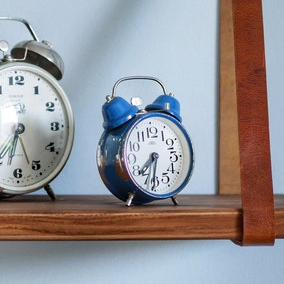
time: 7:31
